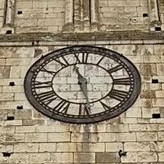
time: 11:28
